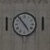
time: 4:53
